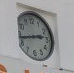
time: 2:43
